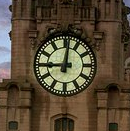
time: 9:01
